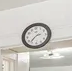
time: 2:37
